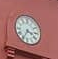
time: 3:34
